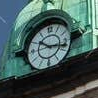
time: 10:17
